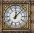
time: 12:07
